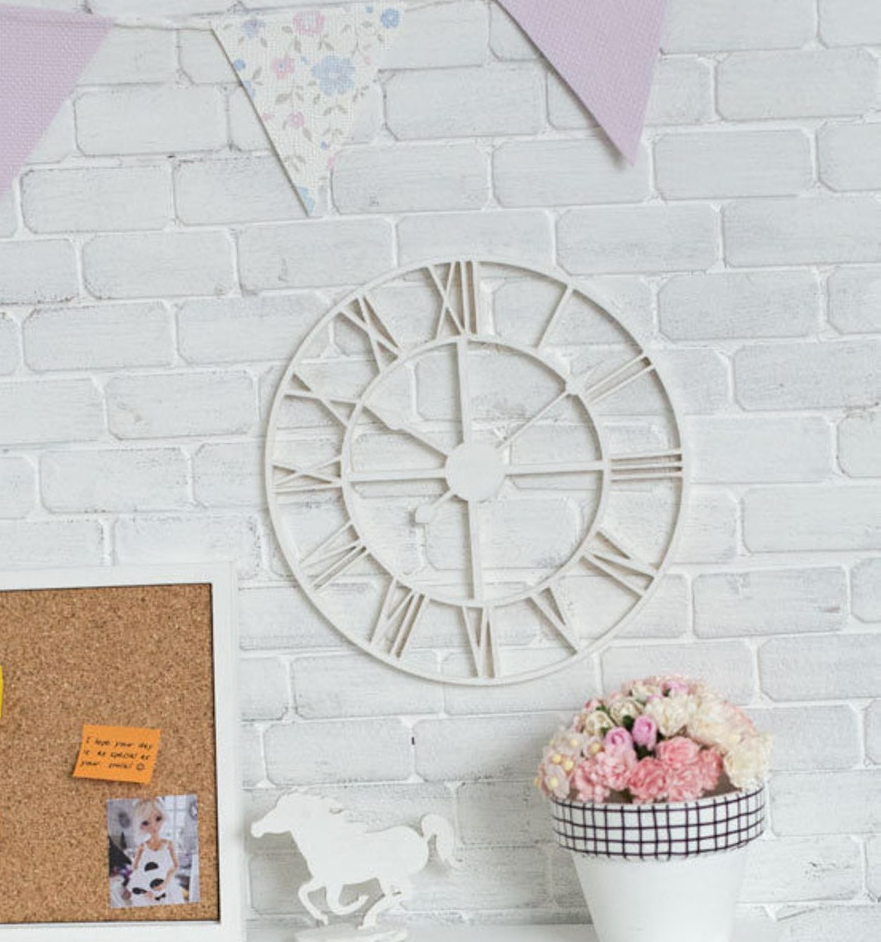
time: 10:00
